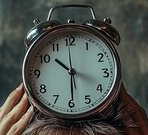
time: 10:29
